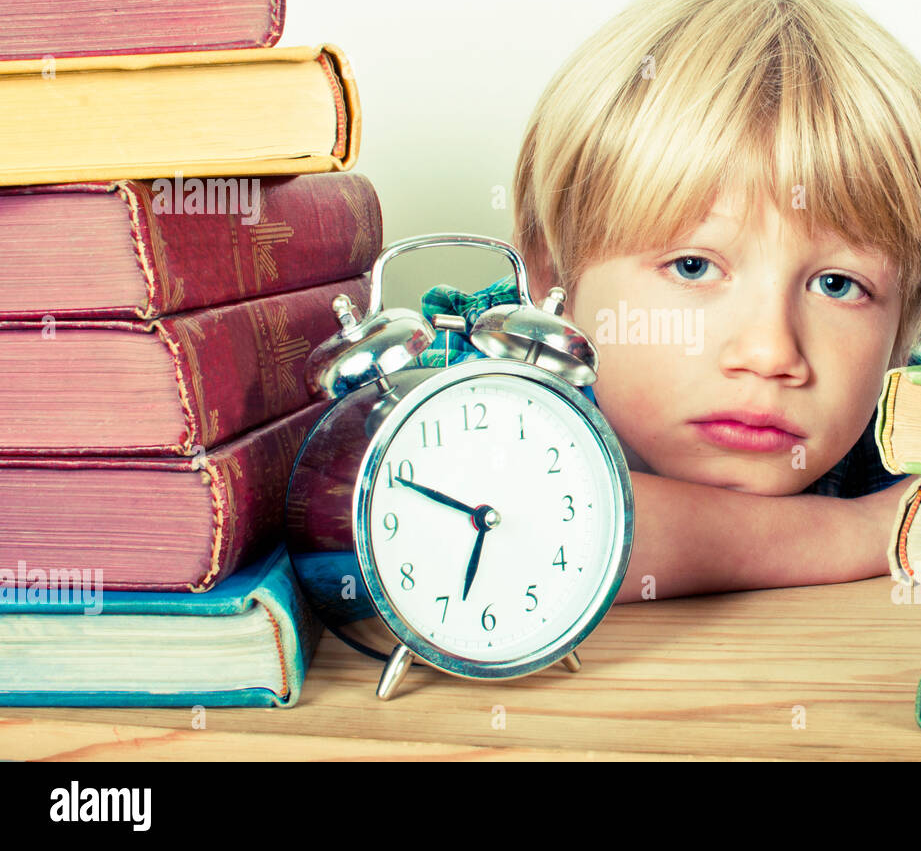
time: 6:49
